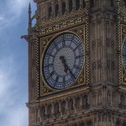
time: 5:24
